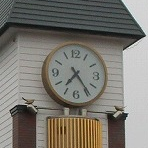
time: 7:24
